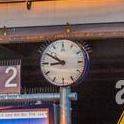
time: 8:50
